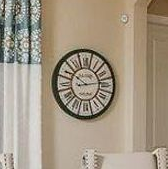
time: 10:13
